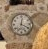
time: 12:19
